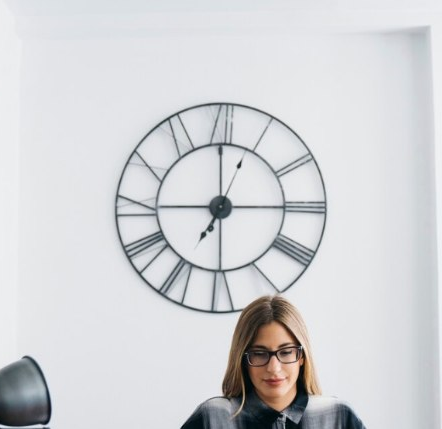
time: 7:00
